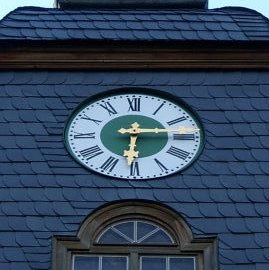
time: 6:14
